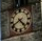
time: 4:40
